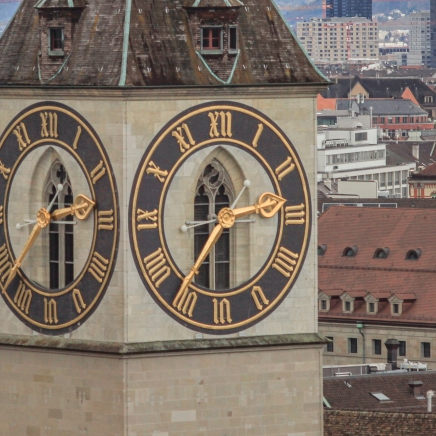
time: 2:36
